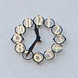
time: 11:35
